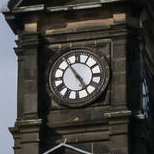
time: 4:54
